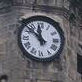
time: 11:52
